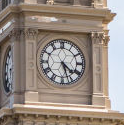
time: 4:26
